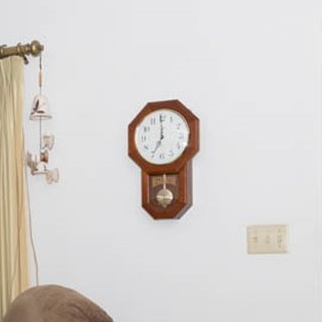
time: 7:00
